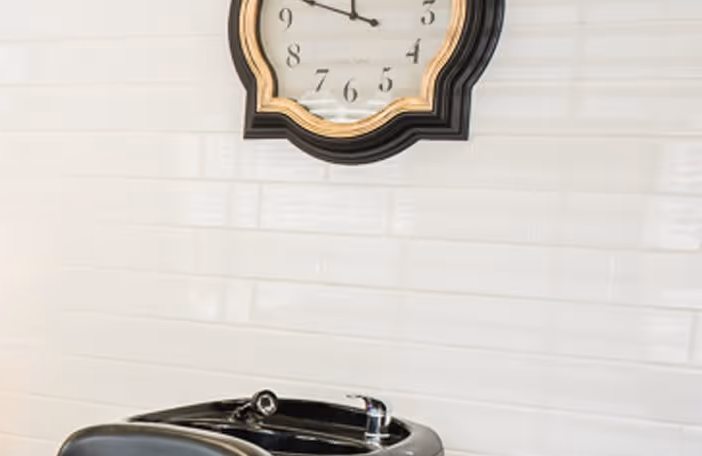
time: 9:48
